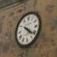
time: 4:21
